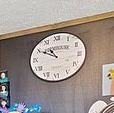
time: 10:49
